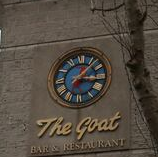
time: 1:16
